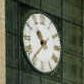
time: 10:36
